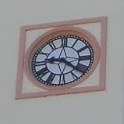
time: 9:21
